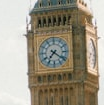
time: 7:21
